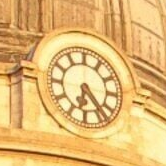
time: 6:23
